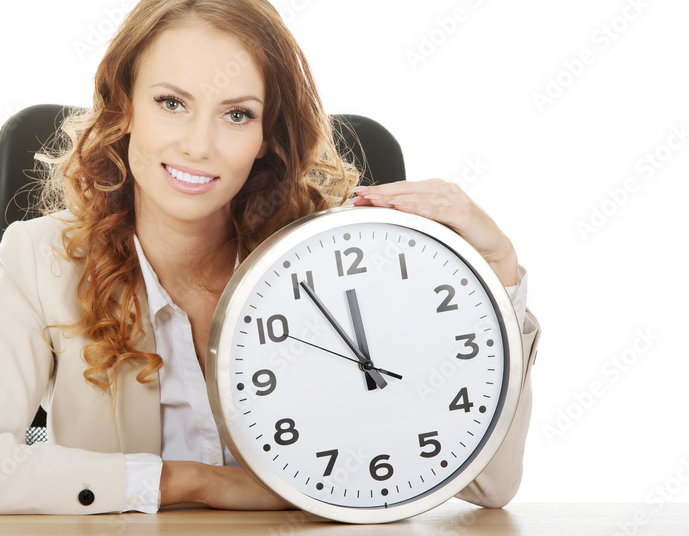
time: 11:54
